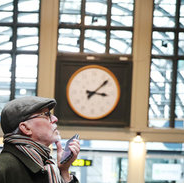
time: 3:07
